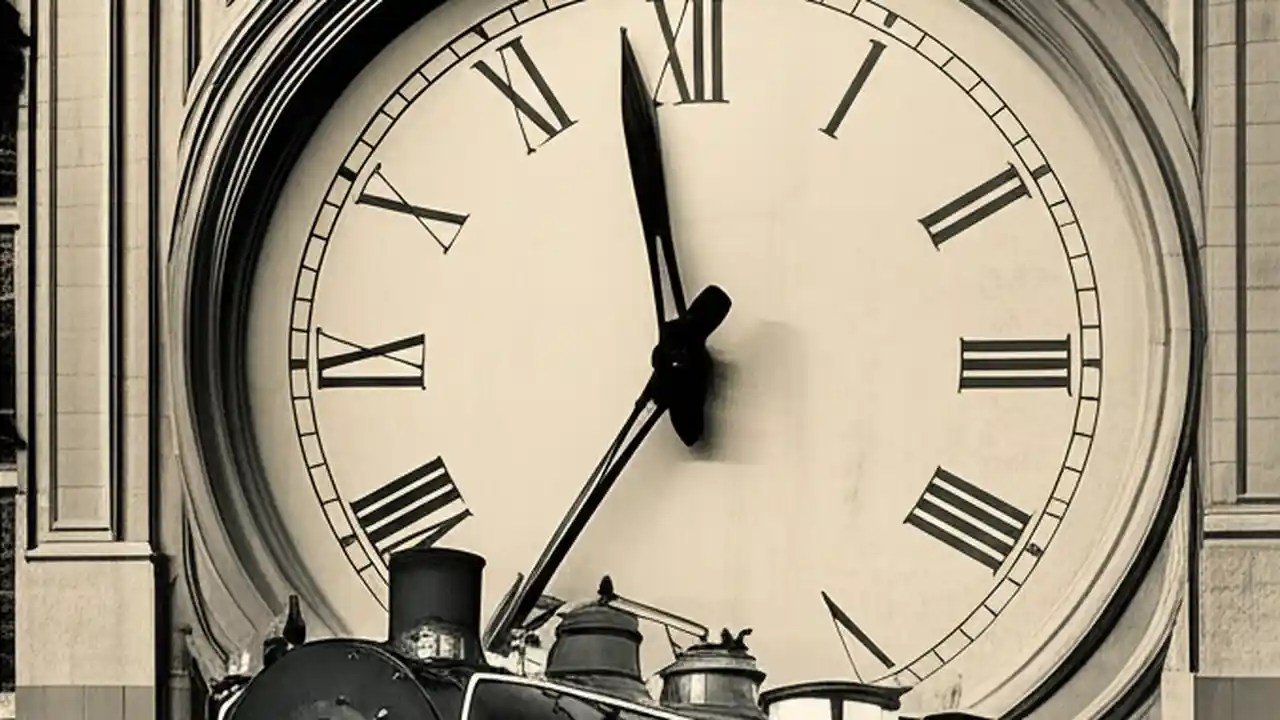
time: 11:35
